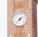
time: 1:37
